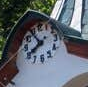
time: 7:53
